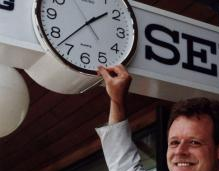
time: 1:37
